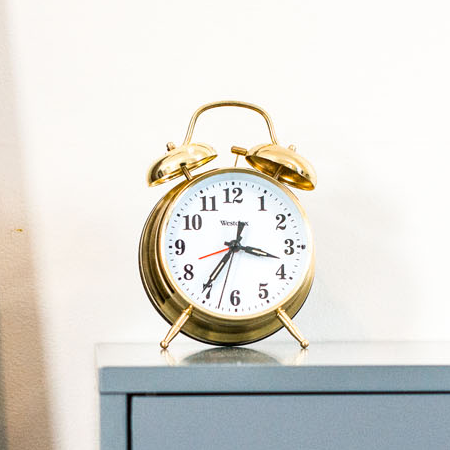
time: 3:35
